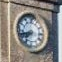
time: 7:42
